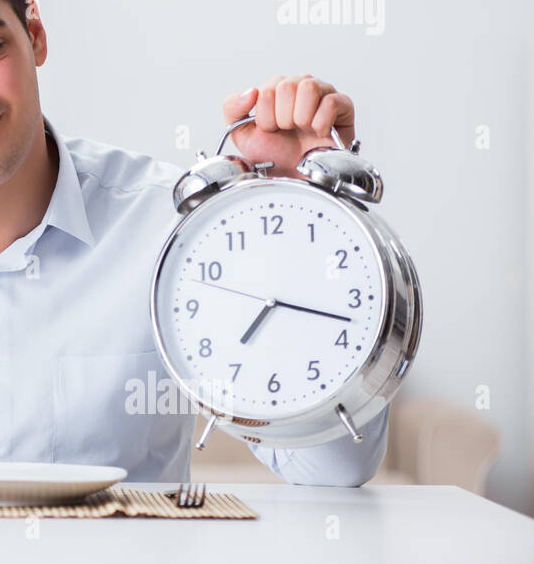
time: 7:17
